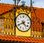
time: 4:40
